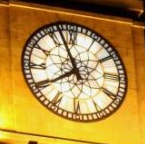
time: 7:56
